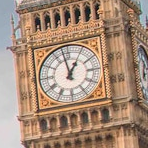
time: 12:58
